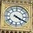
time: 4:19
